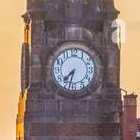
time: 7:32
